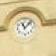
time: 11:07
